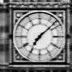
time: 7:08
